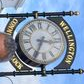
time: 3:34
